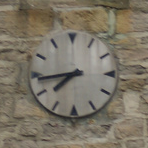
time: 7:43
